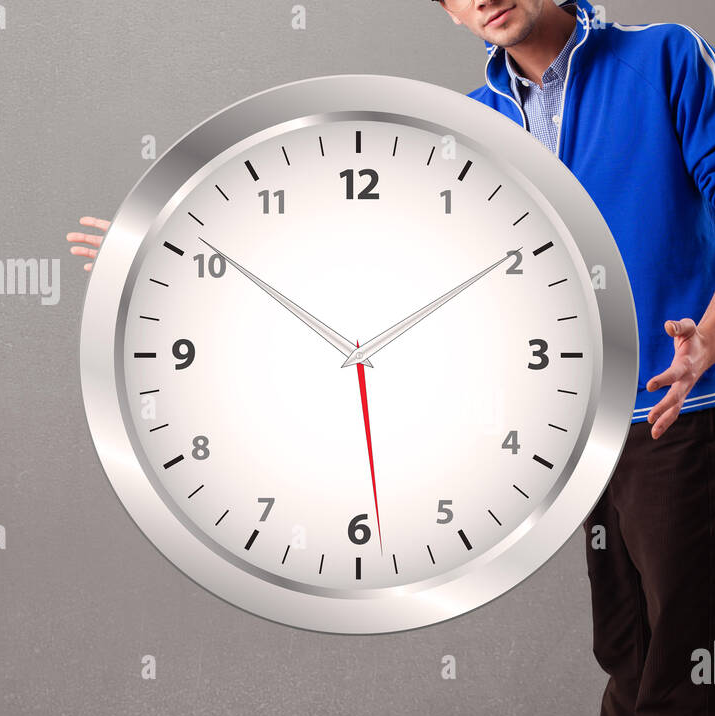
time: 10:09
